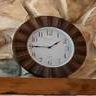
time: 1:45
